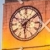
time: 6:08
